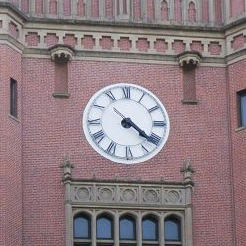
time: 4:21
